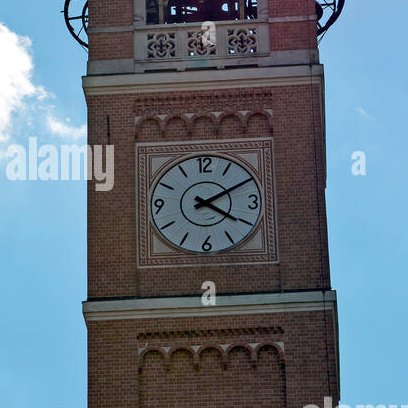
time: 4:10
